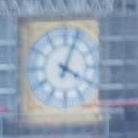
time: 4:03
